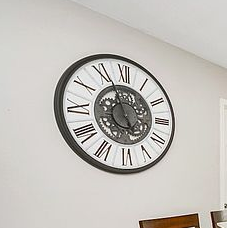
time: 4:56
